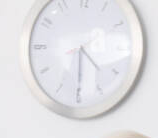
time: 4:30
